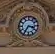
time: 3:35
